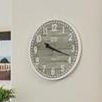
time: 10:18
